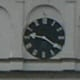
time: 9:20
